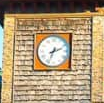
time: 2:33
